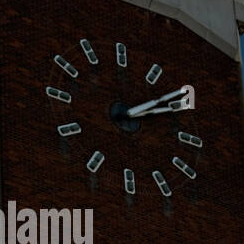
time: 2:09
